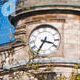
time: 3:35
